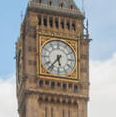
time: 5:36
